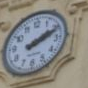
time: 2:11
